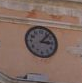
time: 3:06
